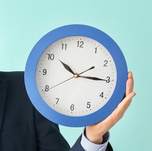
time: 10:15
